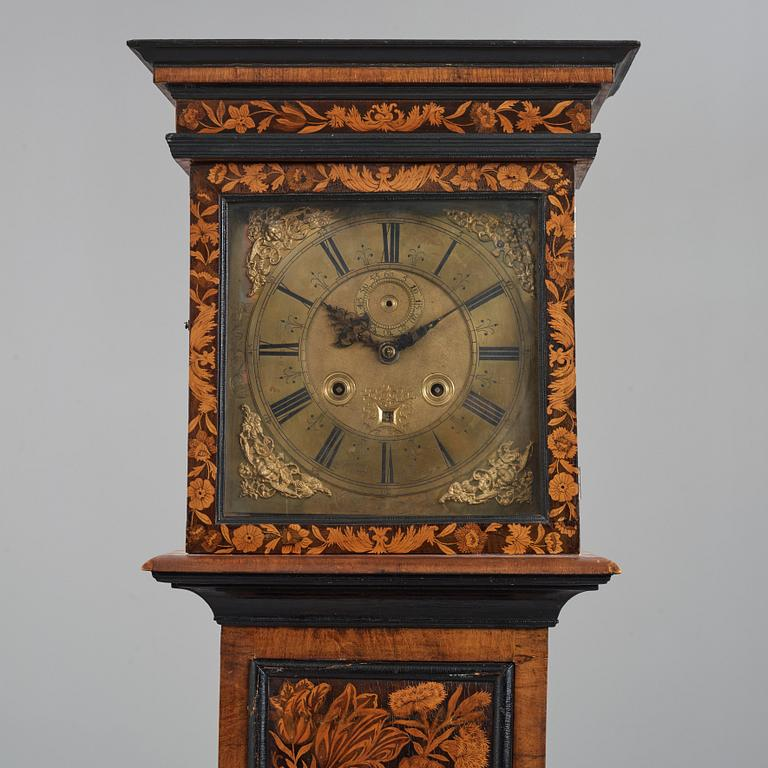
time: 10:10
